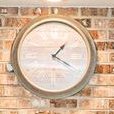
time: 1:20
